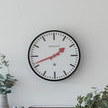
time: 1:41
